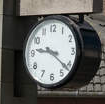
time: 9:21
